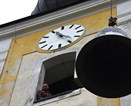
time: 11:21
